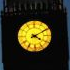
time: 4:10
